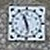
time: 11:28
